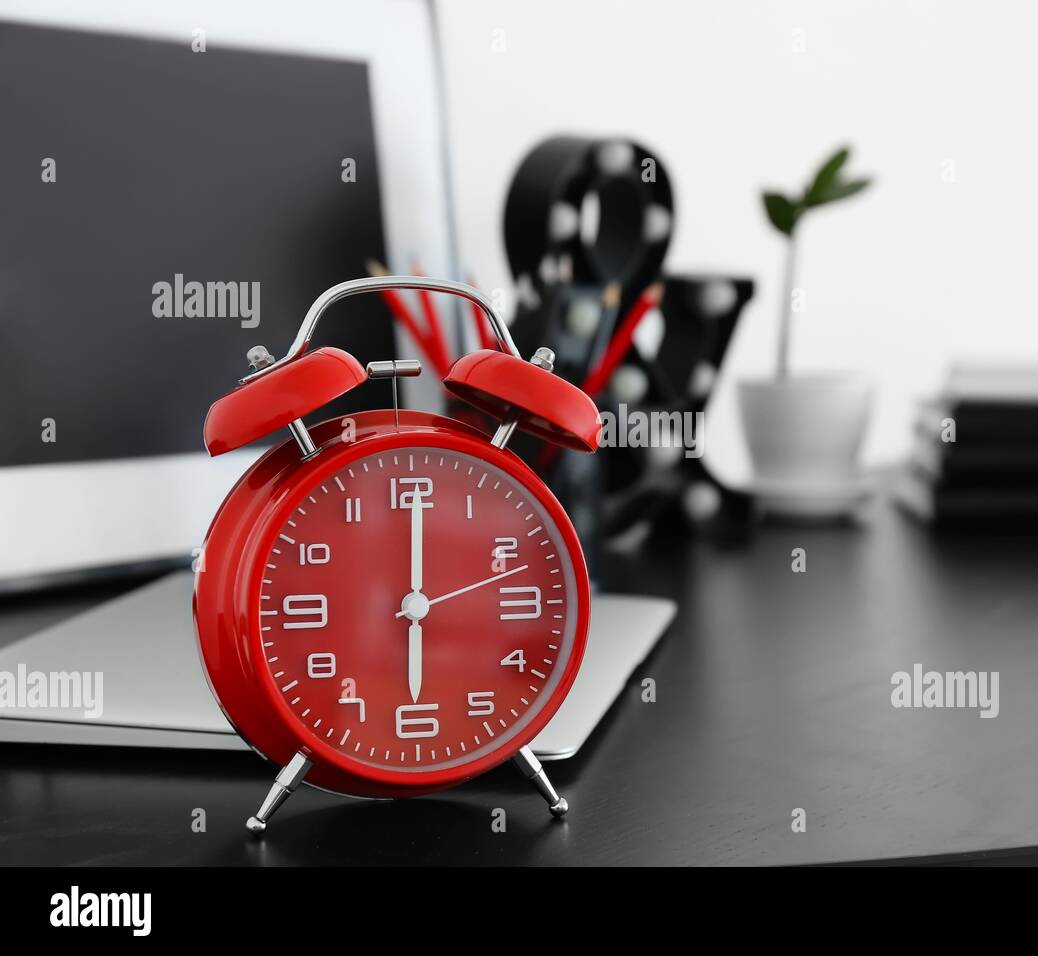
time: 6:00
